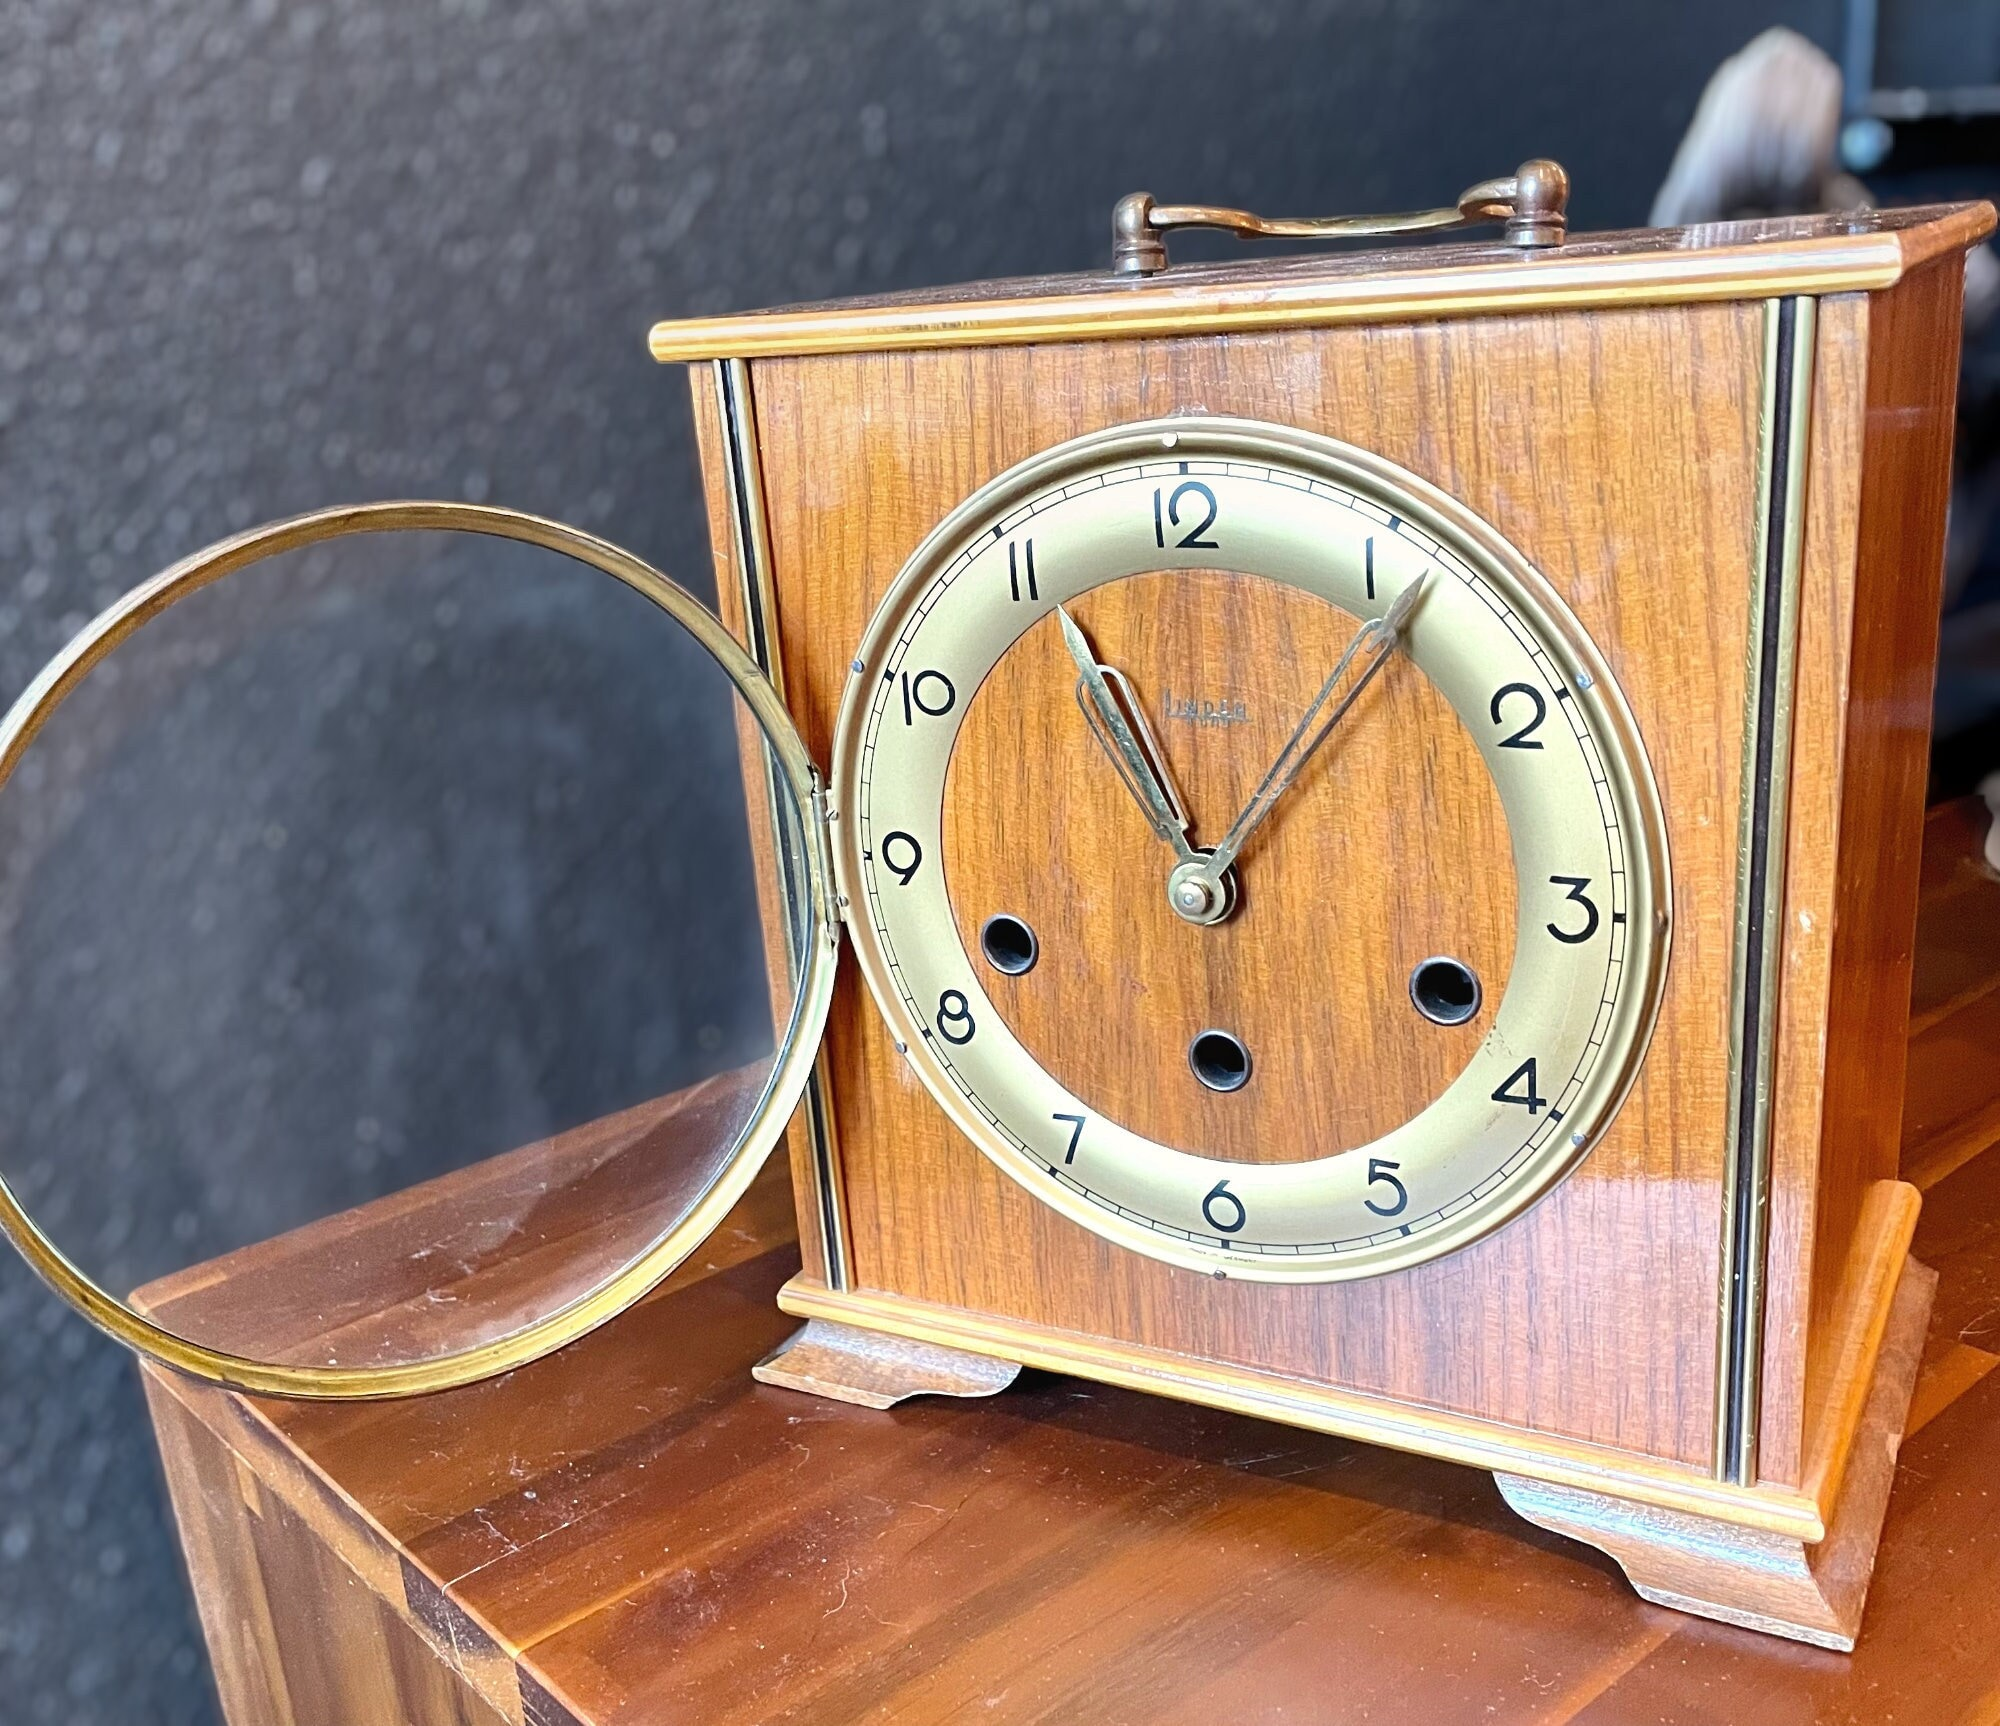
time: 10:55
